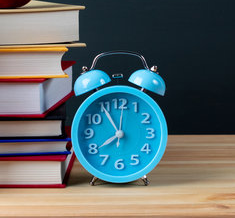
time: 7:54
